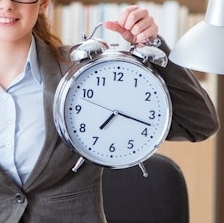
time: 7:17
